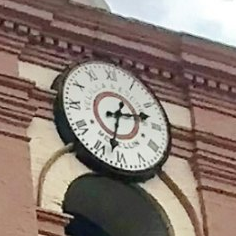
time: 2:32
